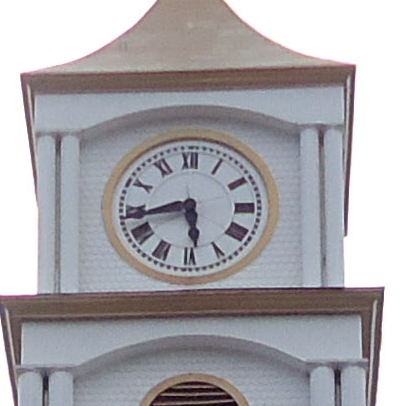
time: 5:43
